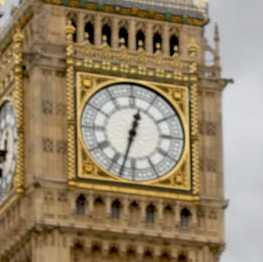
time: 12:32
